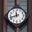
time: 11:42
